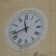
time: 11:42
